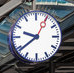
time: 9:39
